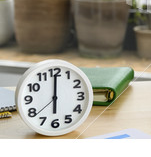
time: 6:00
